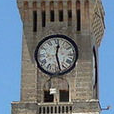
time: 12:27
